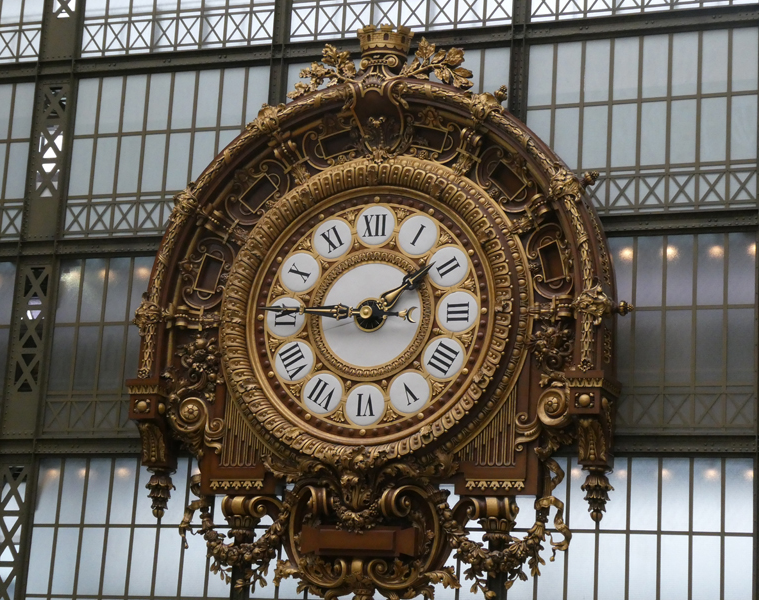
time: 1:45
